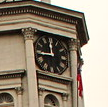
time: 11:44
